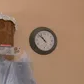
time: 10:52
